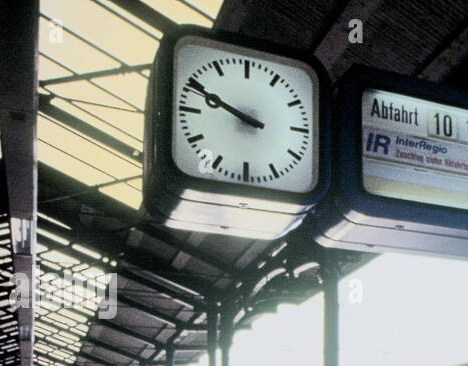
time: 9:49
